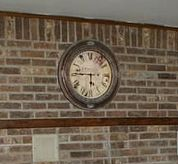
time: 5:45
